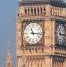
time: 11:16
